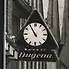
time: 10:54
